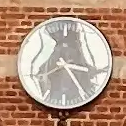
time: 3:24
